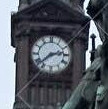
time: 2:38
